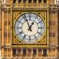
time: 12:56
